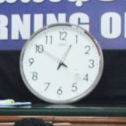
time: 12:50
